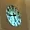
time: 5:42
